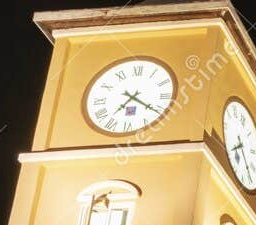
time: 7:20
